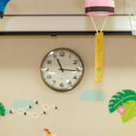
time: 11:15
